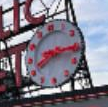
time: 8:15
